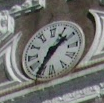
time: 1:35
